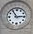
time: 2:54
